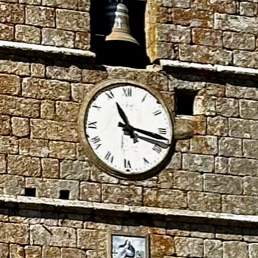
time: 11:17
